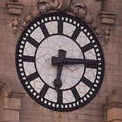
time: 6:14
